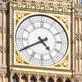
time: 4:40
